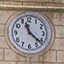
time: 11:22
